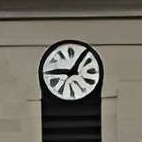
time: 9:05
